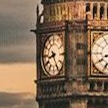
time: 8:25
